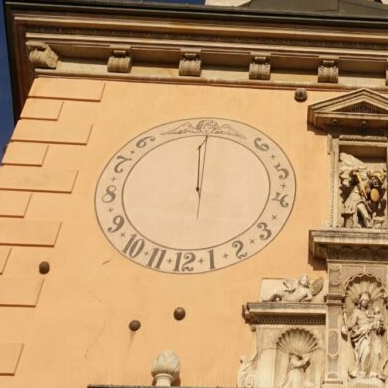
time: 12:01
